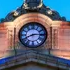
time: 8:14
